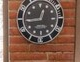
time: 12:44
